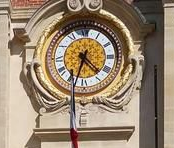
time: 4:33
